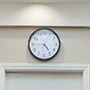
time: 4:44
